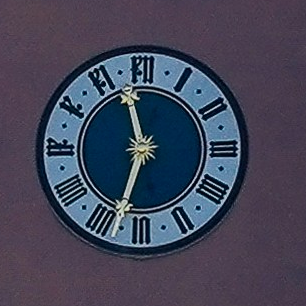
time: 11:32
